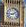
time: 9:10
